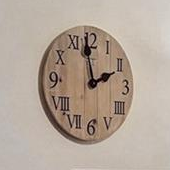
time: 1:58
